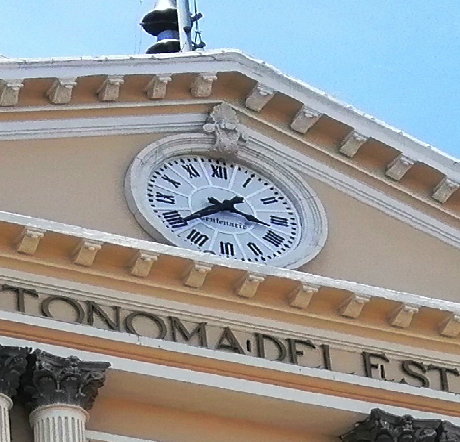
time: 3:38
